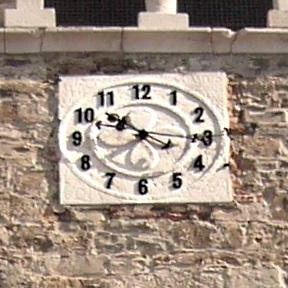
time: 10:15
